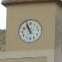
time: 10:56
